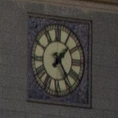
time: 1:24
